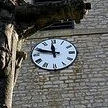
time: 11:47
